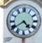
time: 4:39
